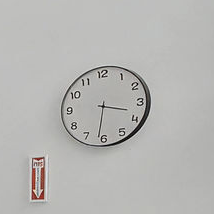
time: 3:31
